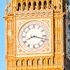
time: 8:17
